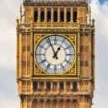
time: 12:56
